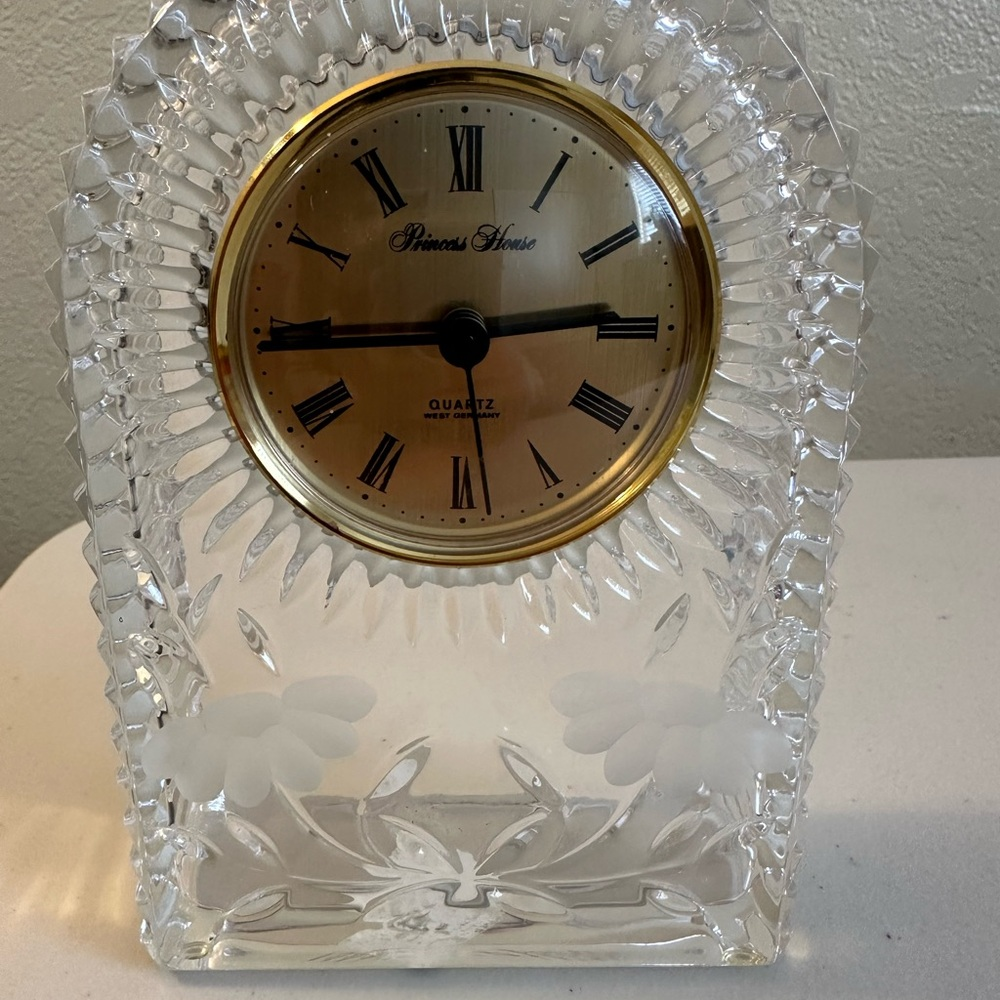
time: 2:44
